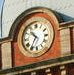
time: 10:35
